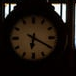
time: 6:19
